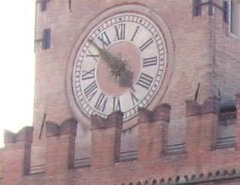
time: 4:52
